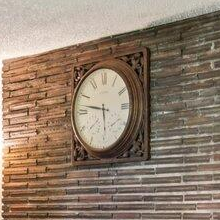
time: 5:46
